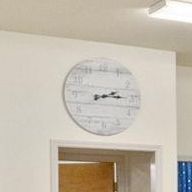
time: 2:15
